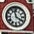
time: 3:57
